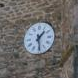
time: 1:28
